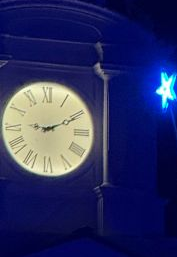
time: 9:10
